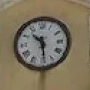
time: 10:28
